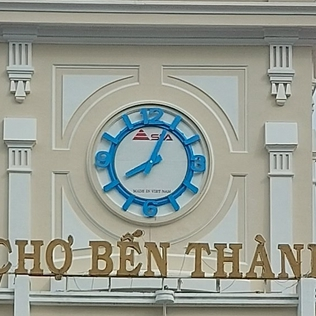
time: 8:04
